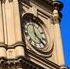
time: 3:58
